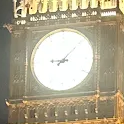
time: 9:07
